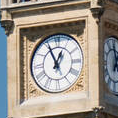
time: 12:55
